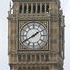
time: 1:40
